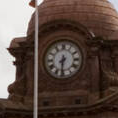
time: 7:31
